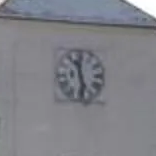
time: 11:28
